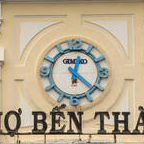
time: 12:21
